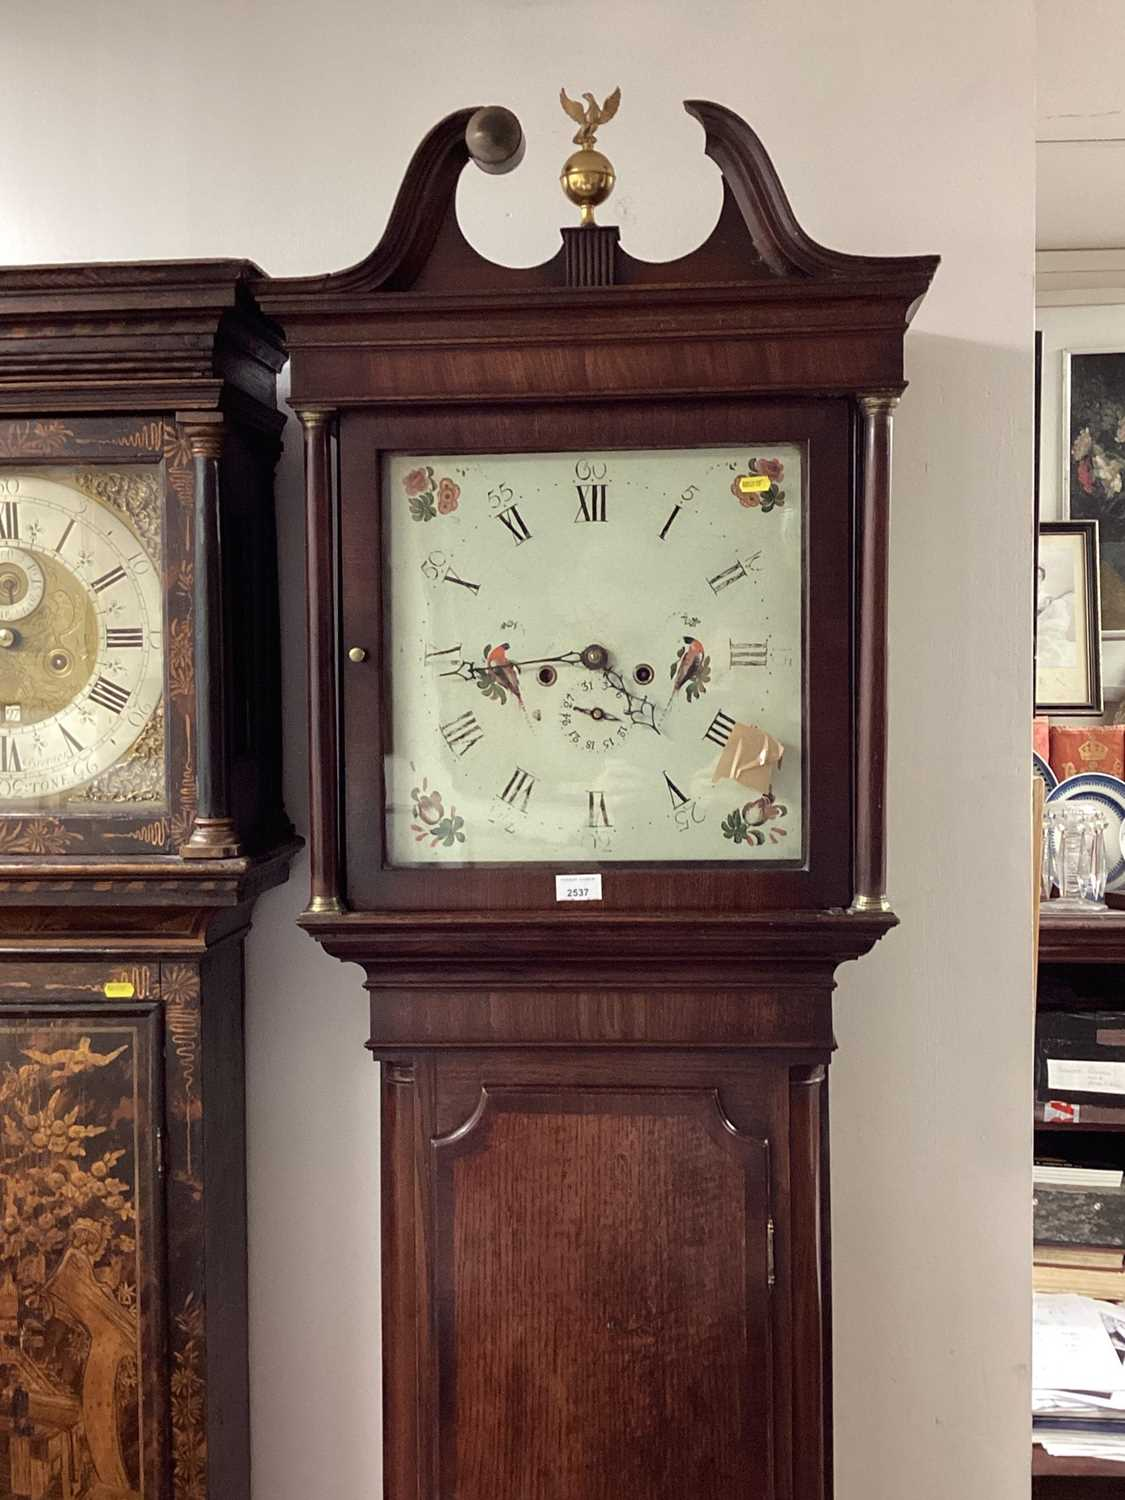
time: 2:44
